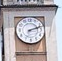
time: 2:12
